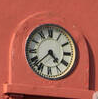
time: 4:37
